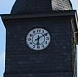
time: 6:09
